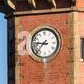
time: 8:36
